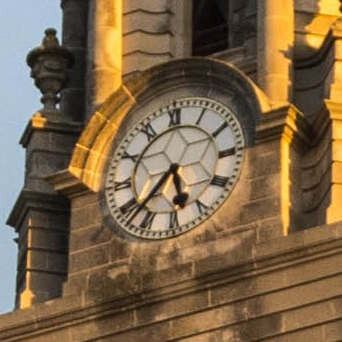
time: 5:37
